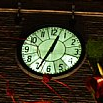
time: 12:34
